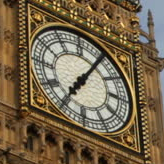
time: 7:05
